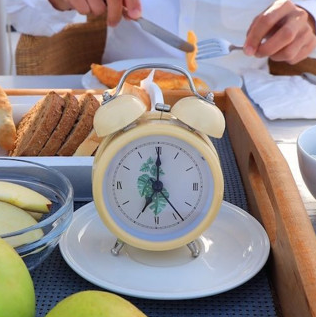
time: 7:00
